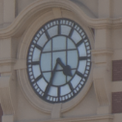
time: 4:34
